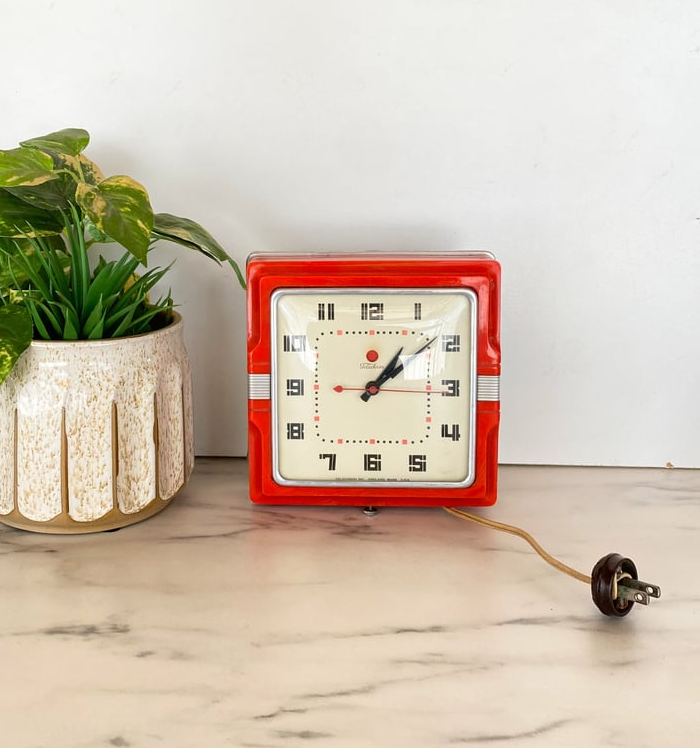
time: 1:08
